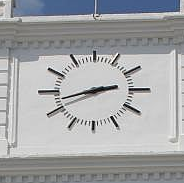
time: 2:42
